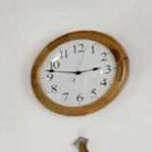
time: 2:47
